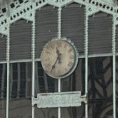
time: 11:35
